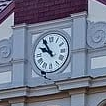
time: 9:54
